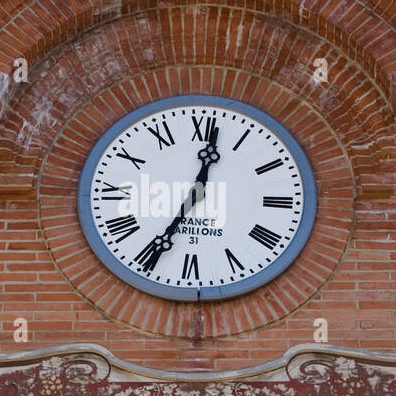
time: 12:34
